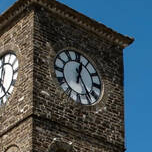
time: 12:24
